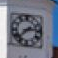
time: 2:38
